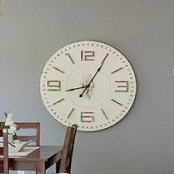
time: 8:05
